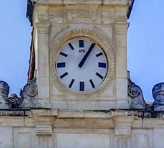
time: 1:05
